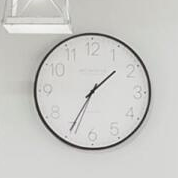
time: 1:34
